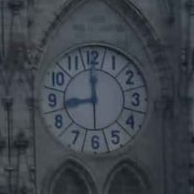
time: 8:59
